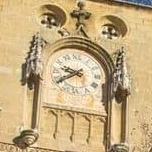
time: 9:40
